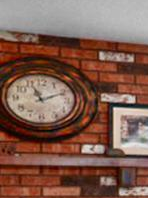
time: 11:10
